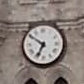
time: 6:50
